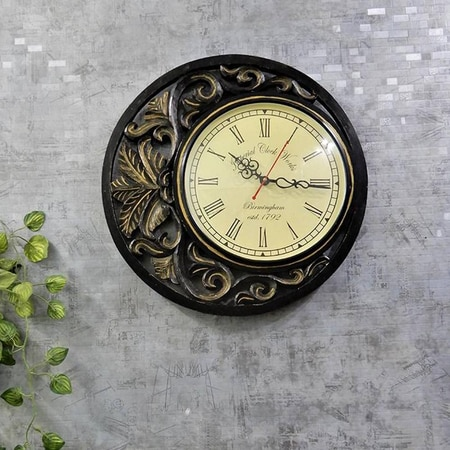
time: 10:15
